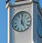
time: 5:00
